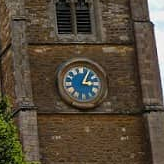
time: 3:04
